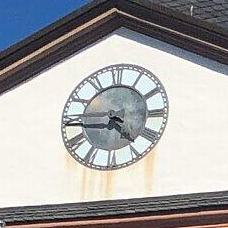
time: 4:44
